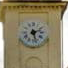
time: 2:27
